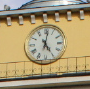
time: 5:01
